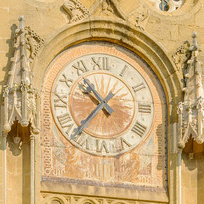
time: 10:36
